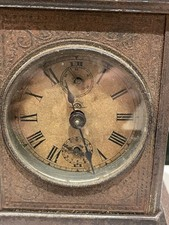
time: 11:27
